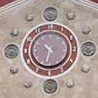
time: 10:32
